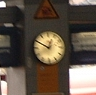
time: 12:49
